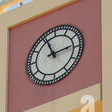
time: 11:13
